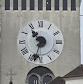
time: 10:33
